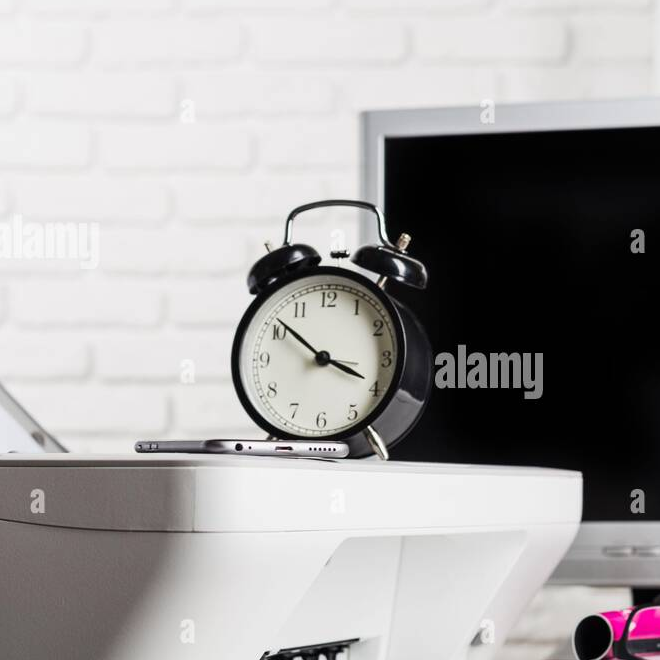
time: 3:51
